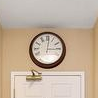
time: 3:01
